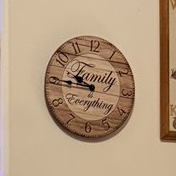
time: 9:45
